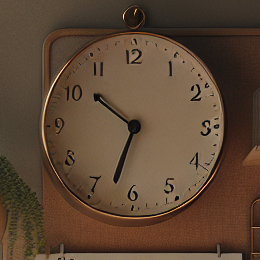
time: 10:32
